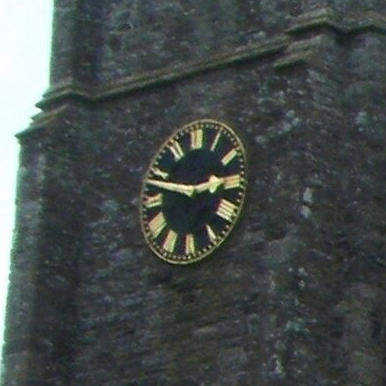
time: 2:48
